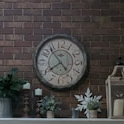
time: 7:53
